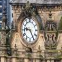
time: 9:25
